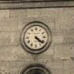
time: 4:21
